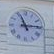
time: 11:14
